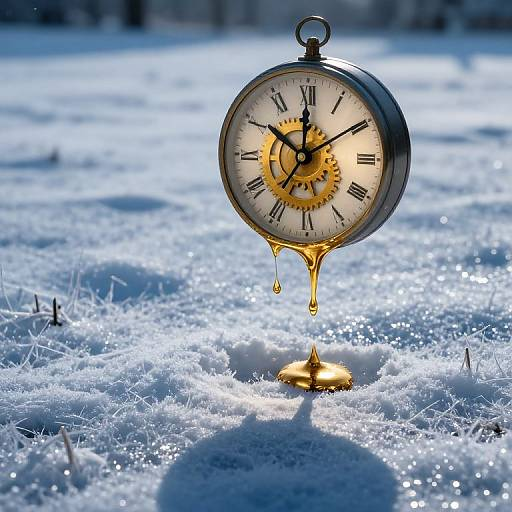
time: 10:00
